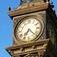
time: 7:22
